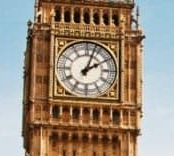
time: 2:03
